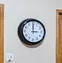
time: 3:00
